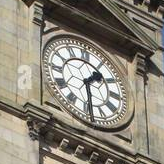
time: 1:28
